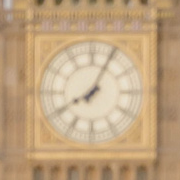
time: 8:04
